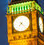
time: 7:23
